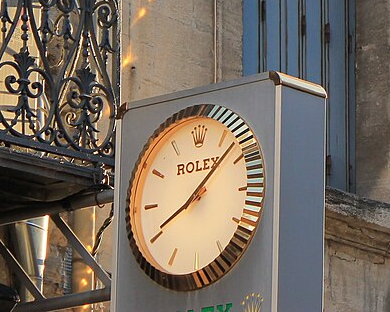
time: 8:07
